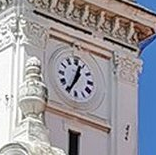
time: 12:34
